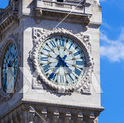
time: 4:35
